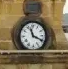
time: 11:19
